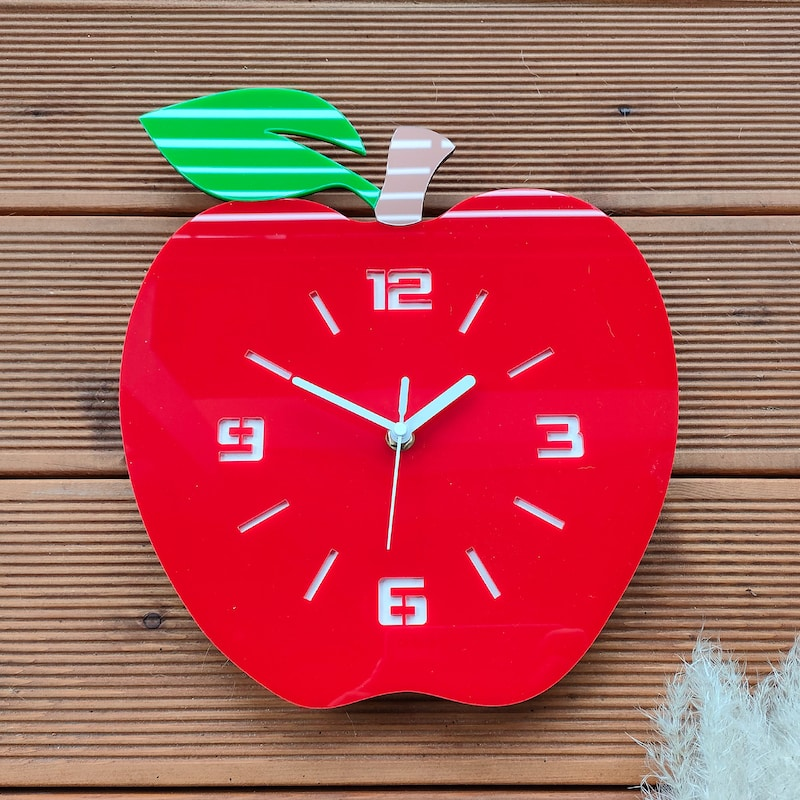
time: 1:50
